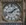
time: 1:42
